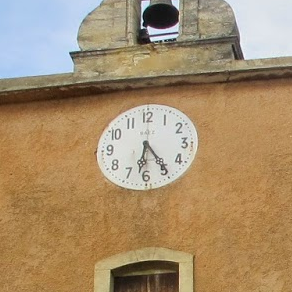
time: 6:24
